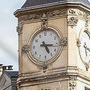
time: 5:16
